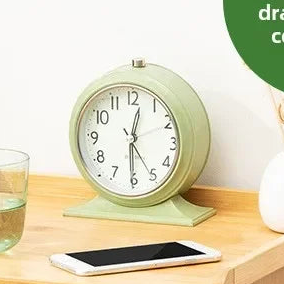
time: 12:30
